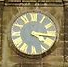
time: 4:16
